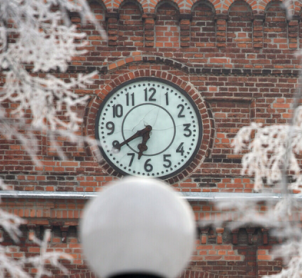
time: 6:39
